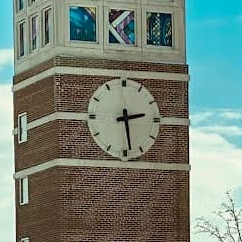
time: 2:28
